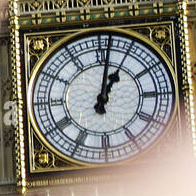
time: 1:02
